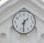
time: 1:31
